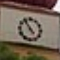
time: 4:54
